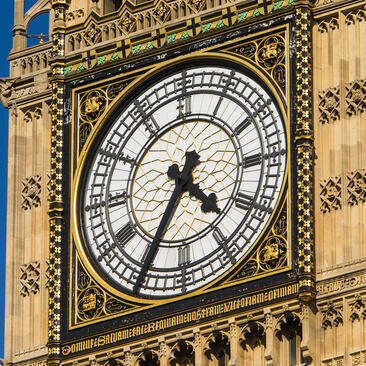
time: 4:34
